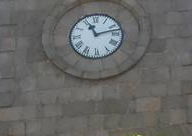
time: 11:12
